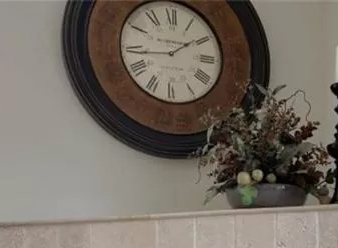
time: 1:43
